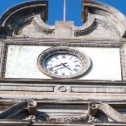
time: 4:40
